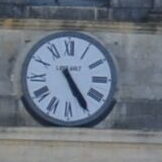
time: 5:24
